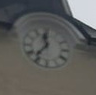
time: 11:36
